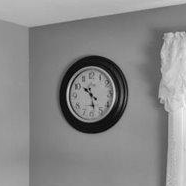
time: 10:28
